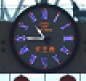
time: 10:45
